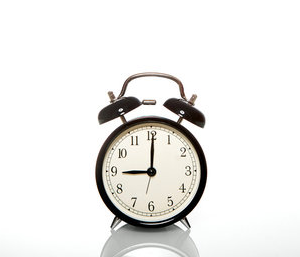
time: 9:00
